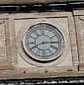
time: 8:14
